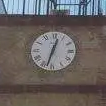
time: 12:32
